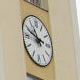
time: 2:48
